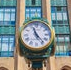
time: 11:23
